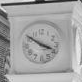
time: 3:51
